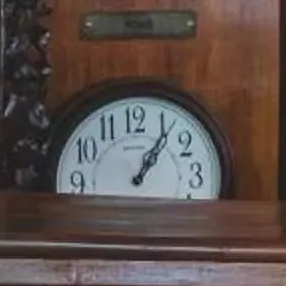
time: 1:05
